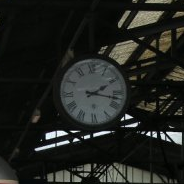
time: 2:17
